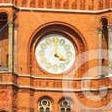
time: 4:00
